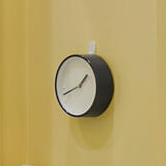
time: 1:42
